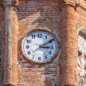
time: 3:09
